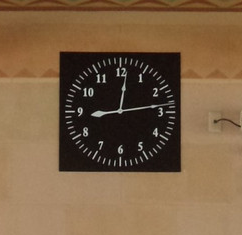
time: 12:13
